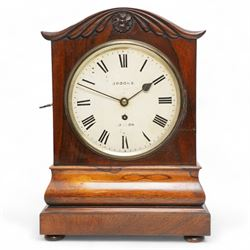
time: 1:49
